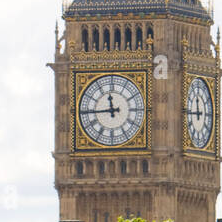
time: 11:44
